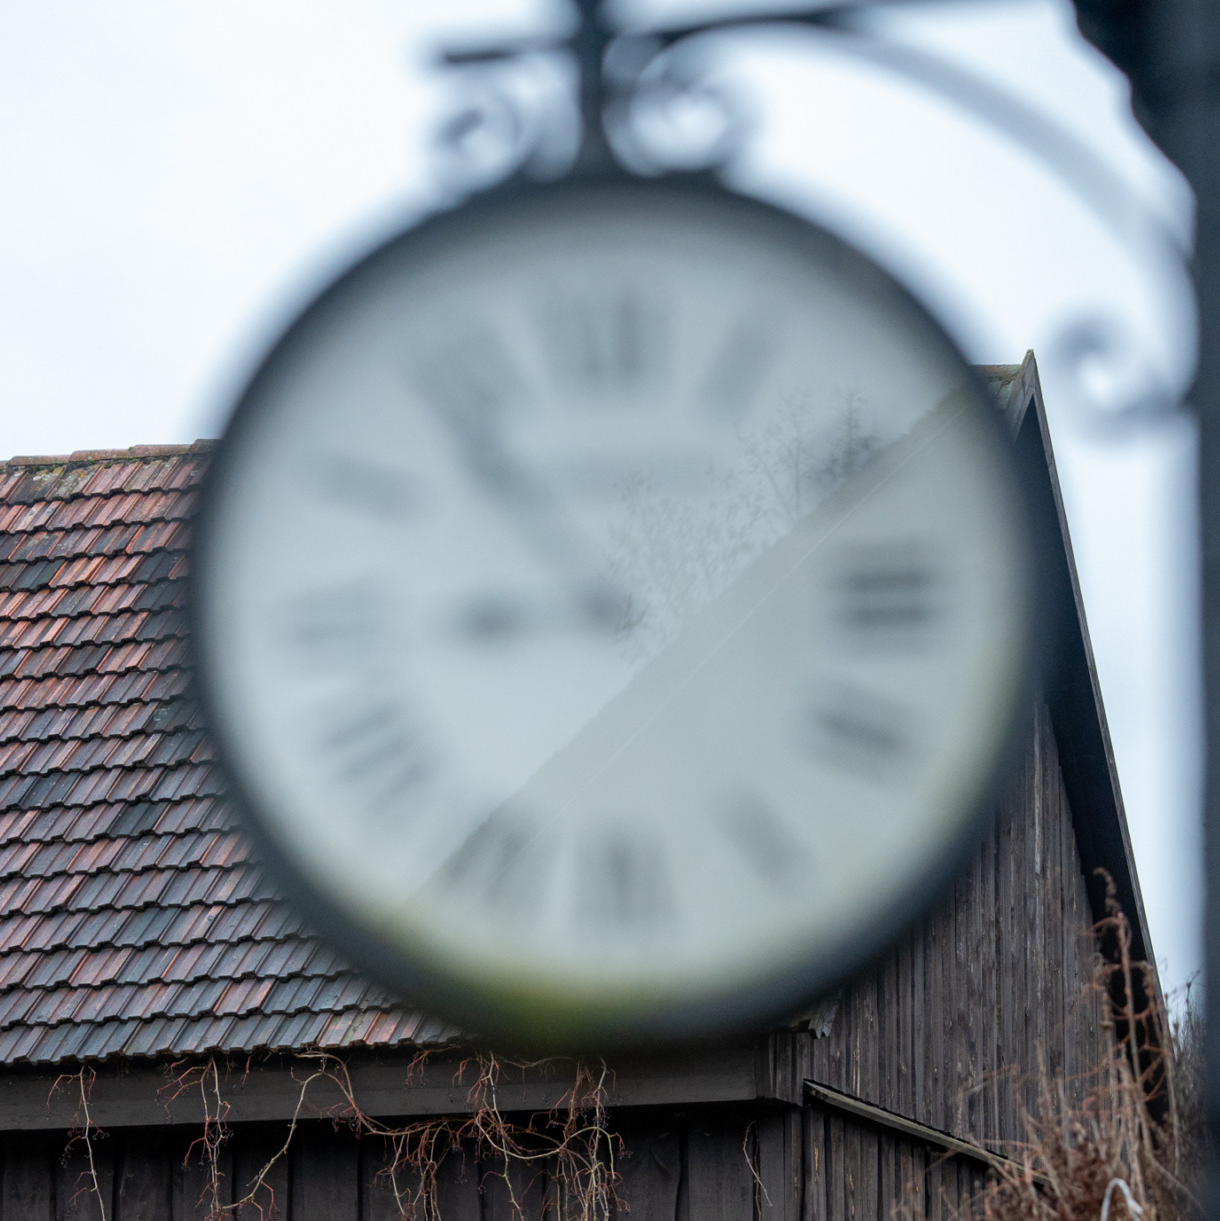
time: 8:53
